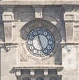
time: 11:25
